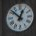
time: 12:52
